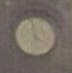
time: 3:58
